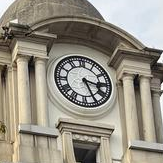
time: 3:25
